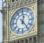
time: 12:23
